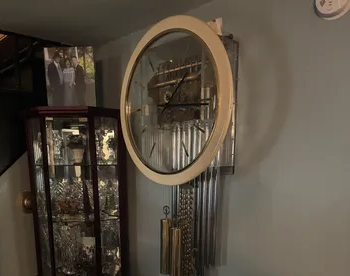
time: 1:16
